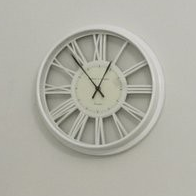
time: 12:53
